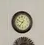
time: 9:36
